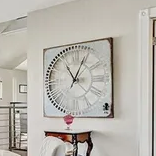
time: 11:04
